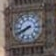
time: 7:40
